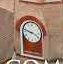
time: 3:47
